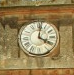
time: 4:01
